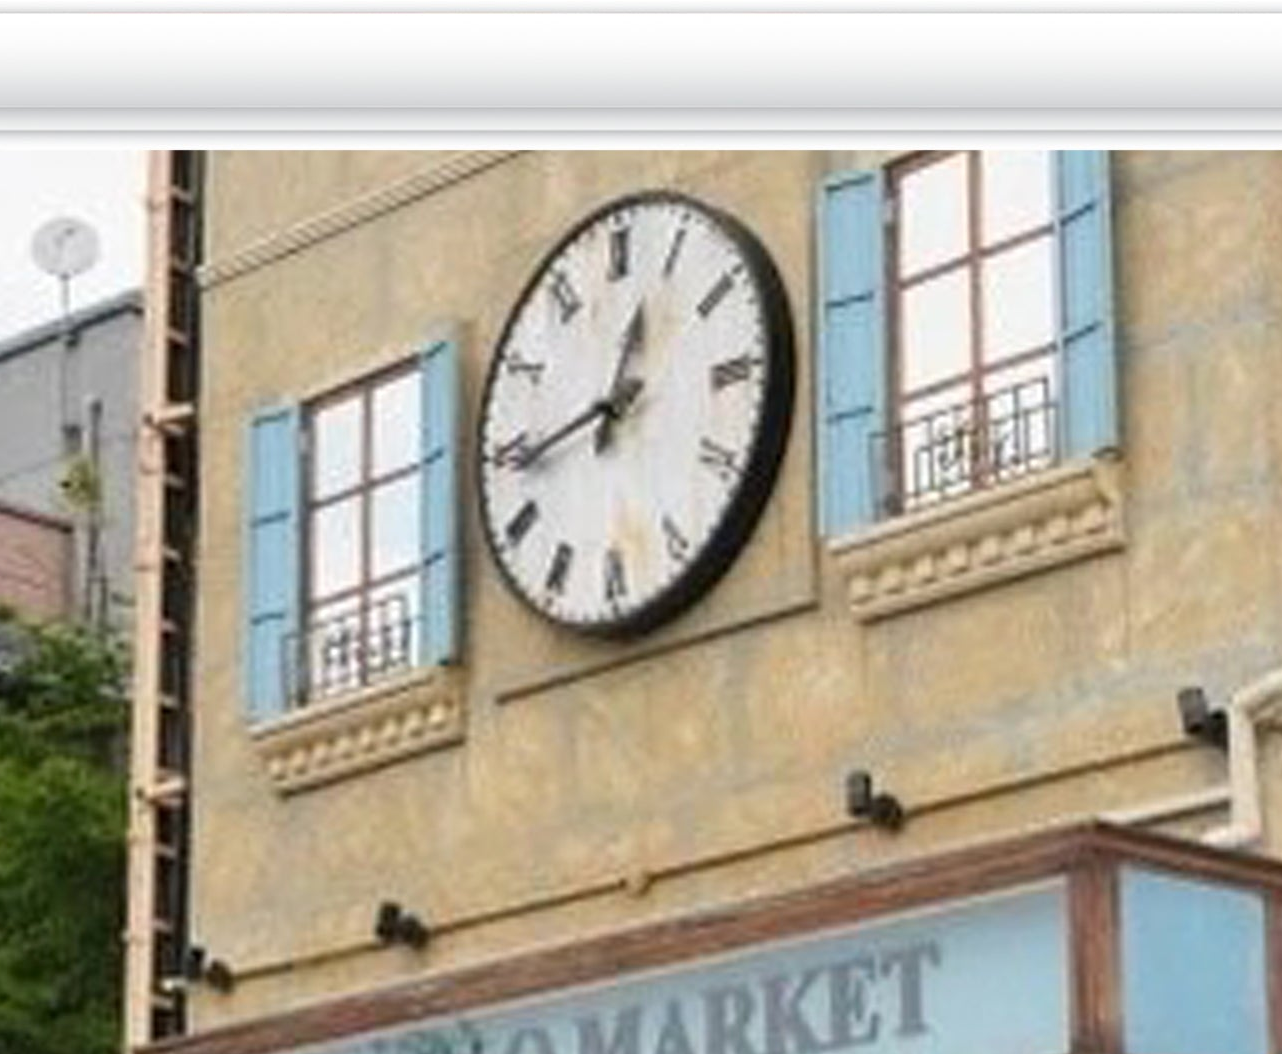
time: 12:43
